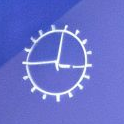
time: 9:01
